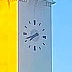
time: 7:41
